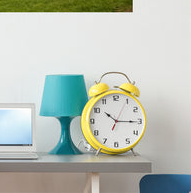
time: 10:15
